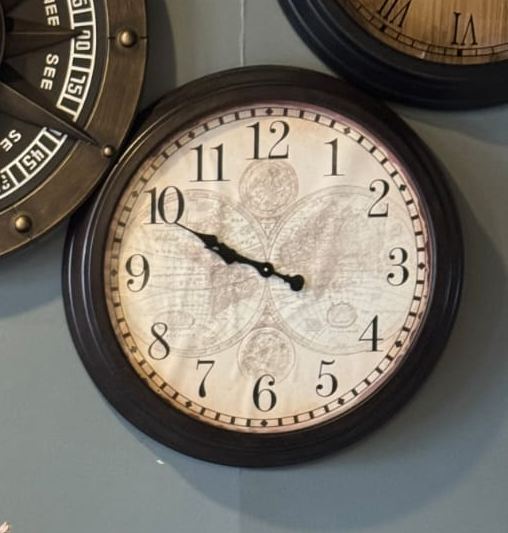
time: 9:49
